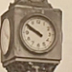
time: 9:50
